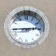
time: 2:44
